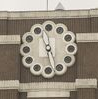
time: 11:28
